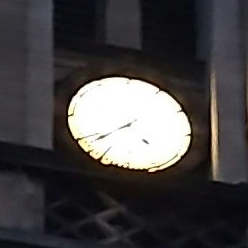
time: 7:39
